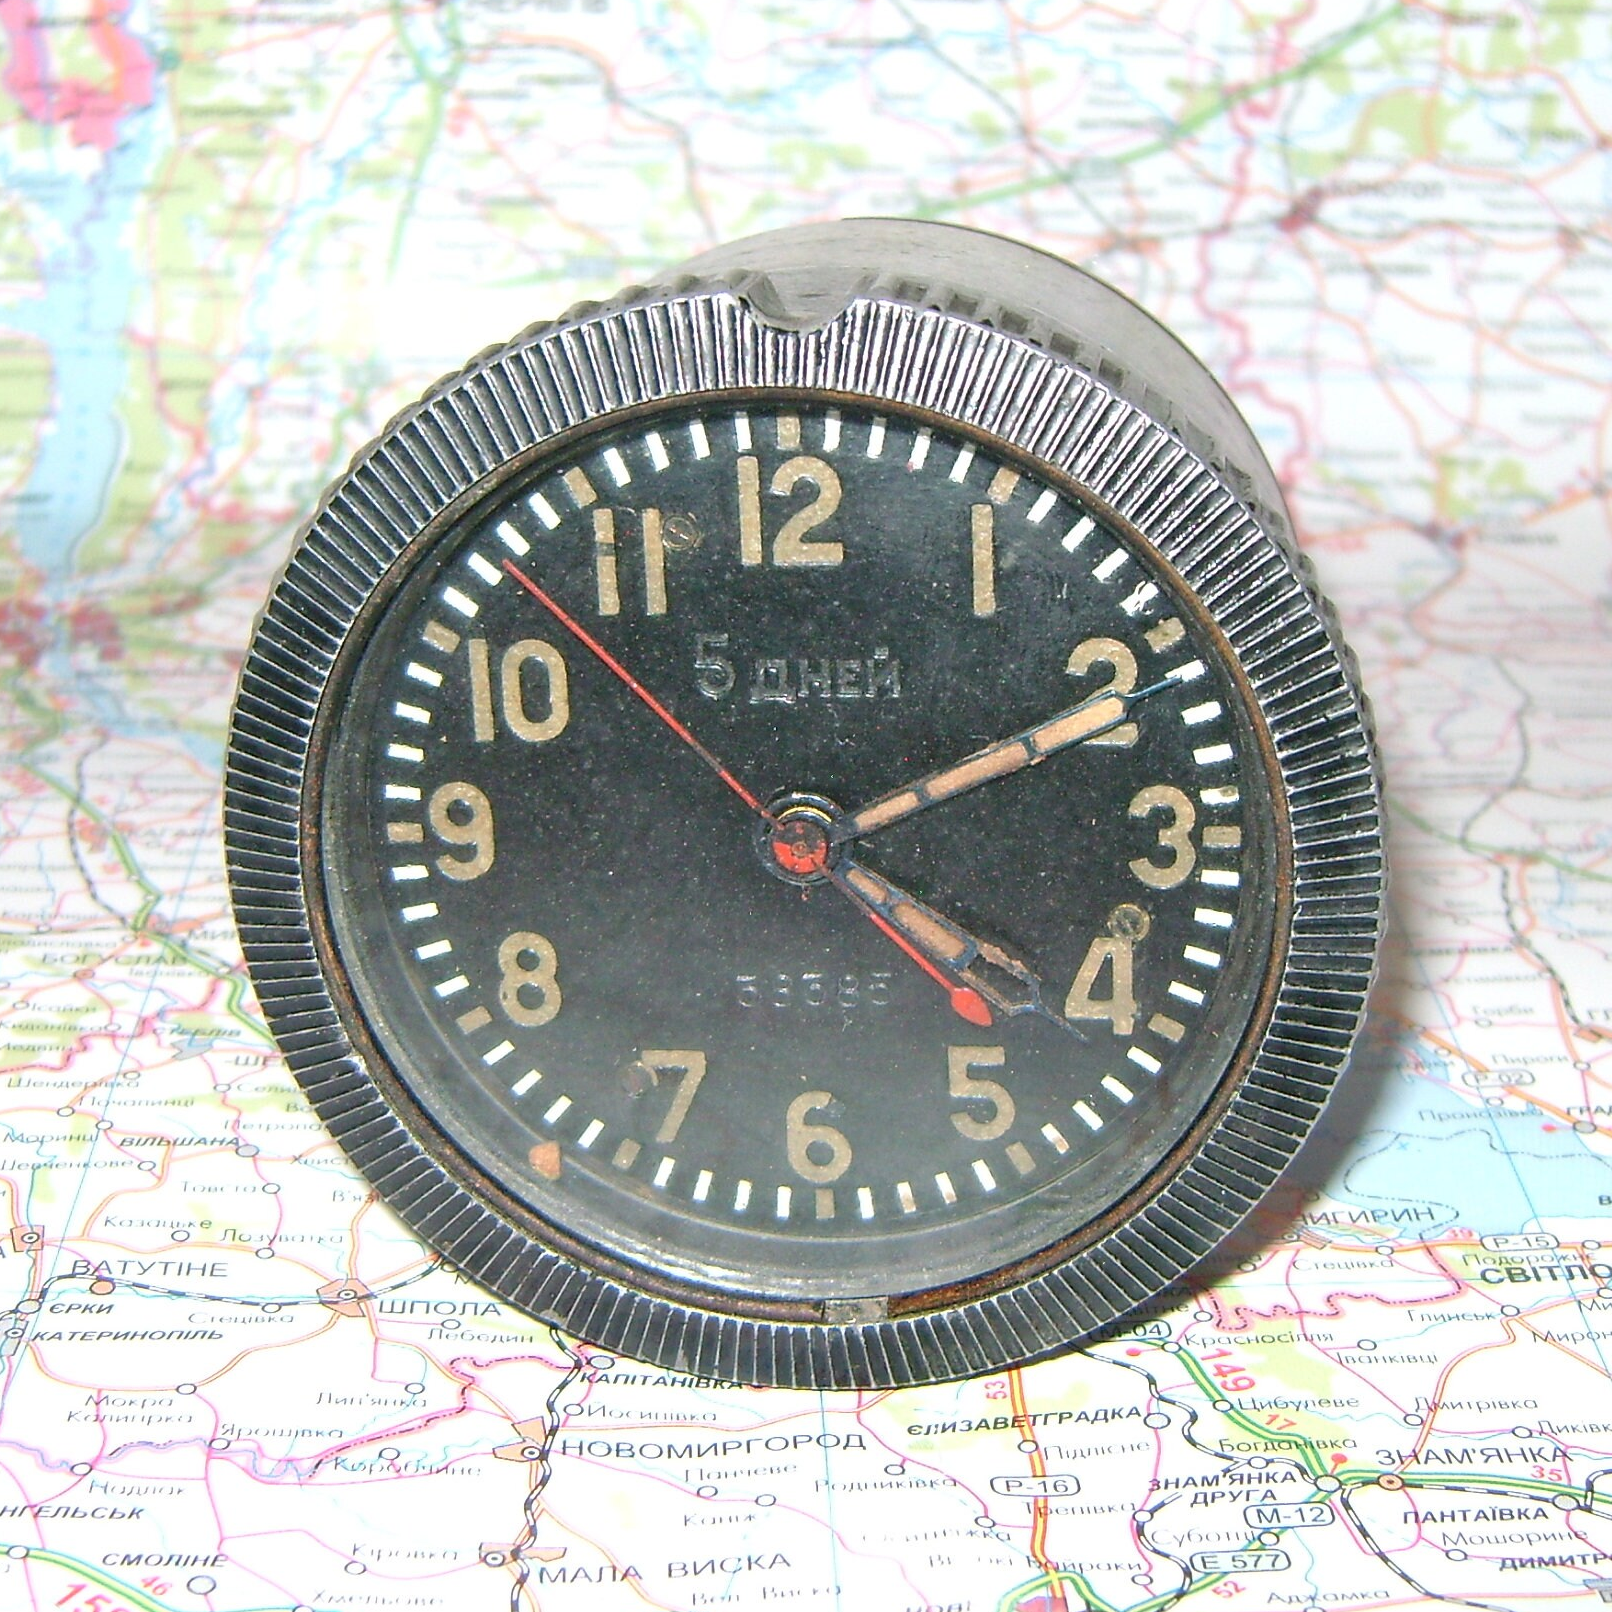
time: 4:10
